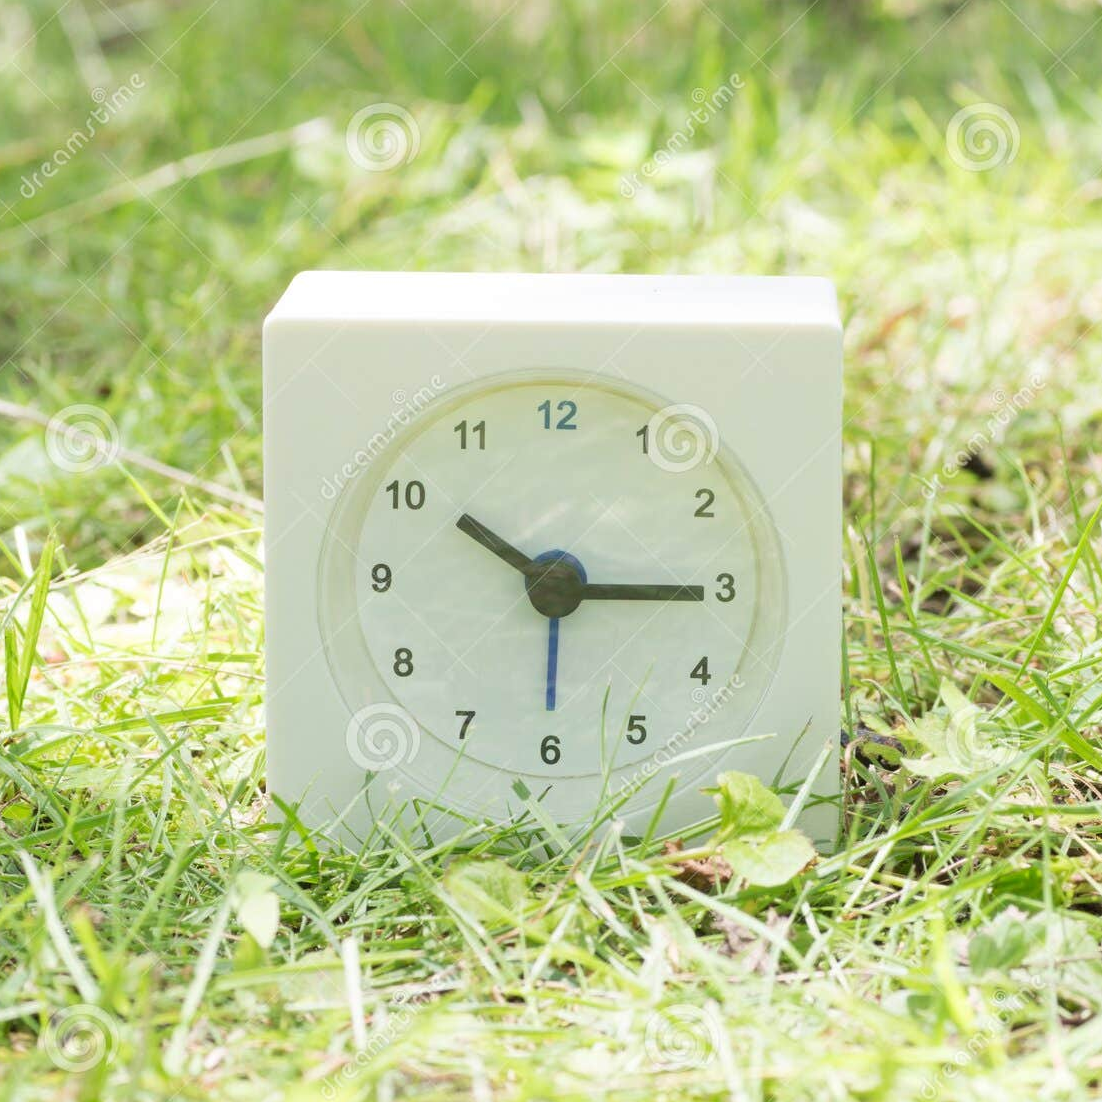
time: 10:15
